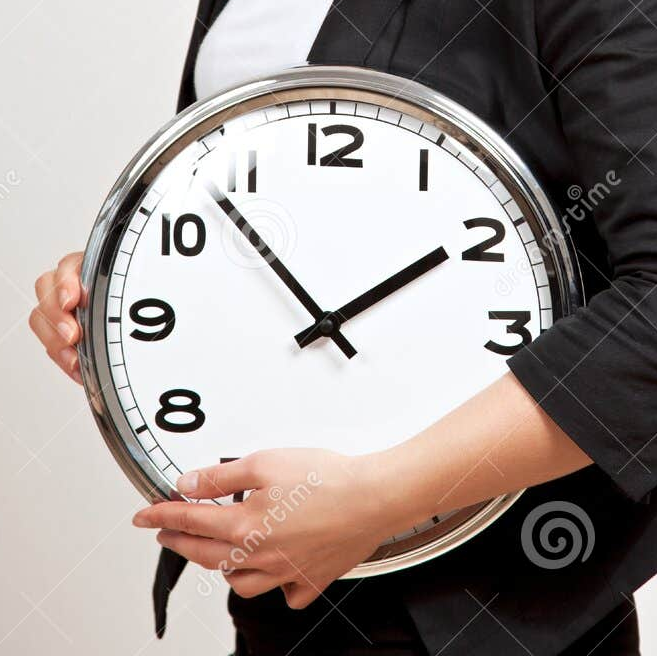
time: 1:53
